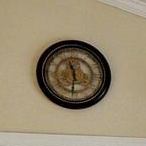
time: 11:31
